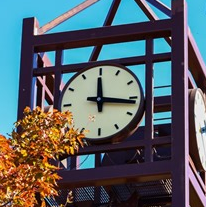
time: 12:16
